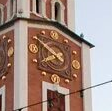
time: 7:50
